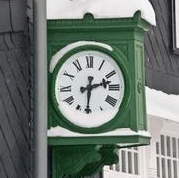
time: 2:30
